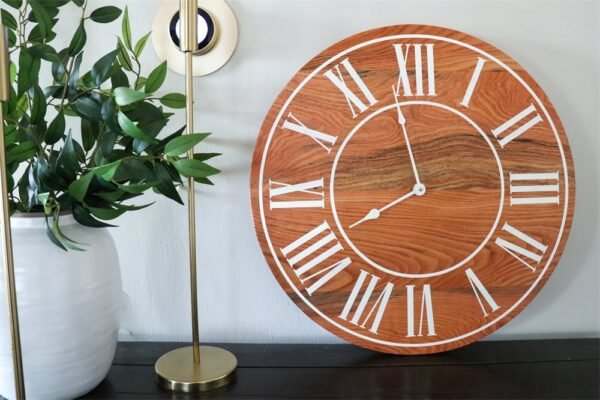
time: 7:58
